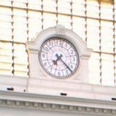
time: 7:22
